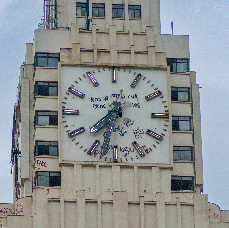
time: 7:32
